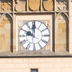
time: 9:59
